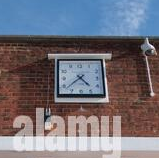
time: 4:38
